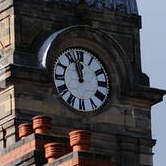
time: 11:56
